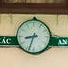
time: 8:33
